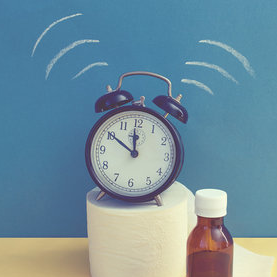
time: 11:50
